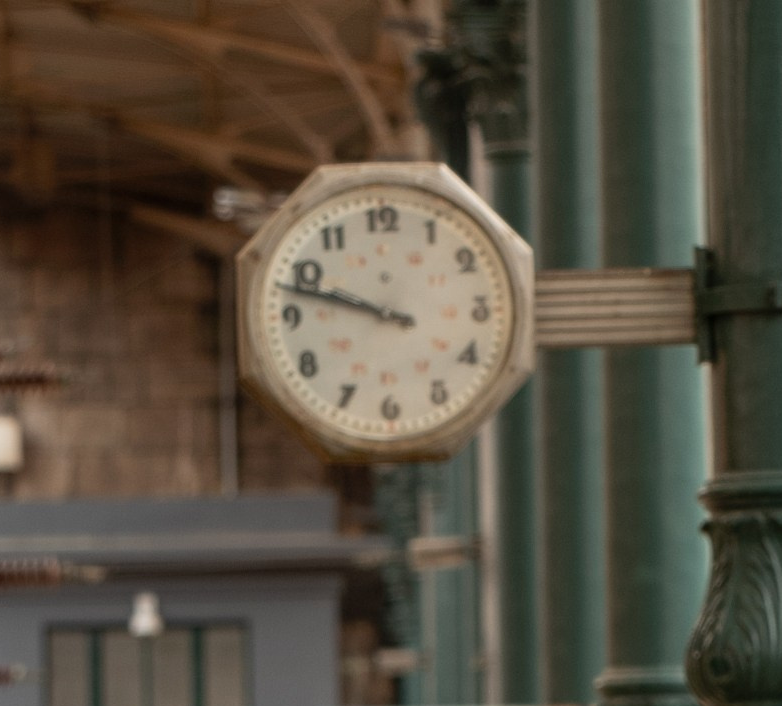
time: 9:47
